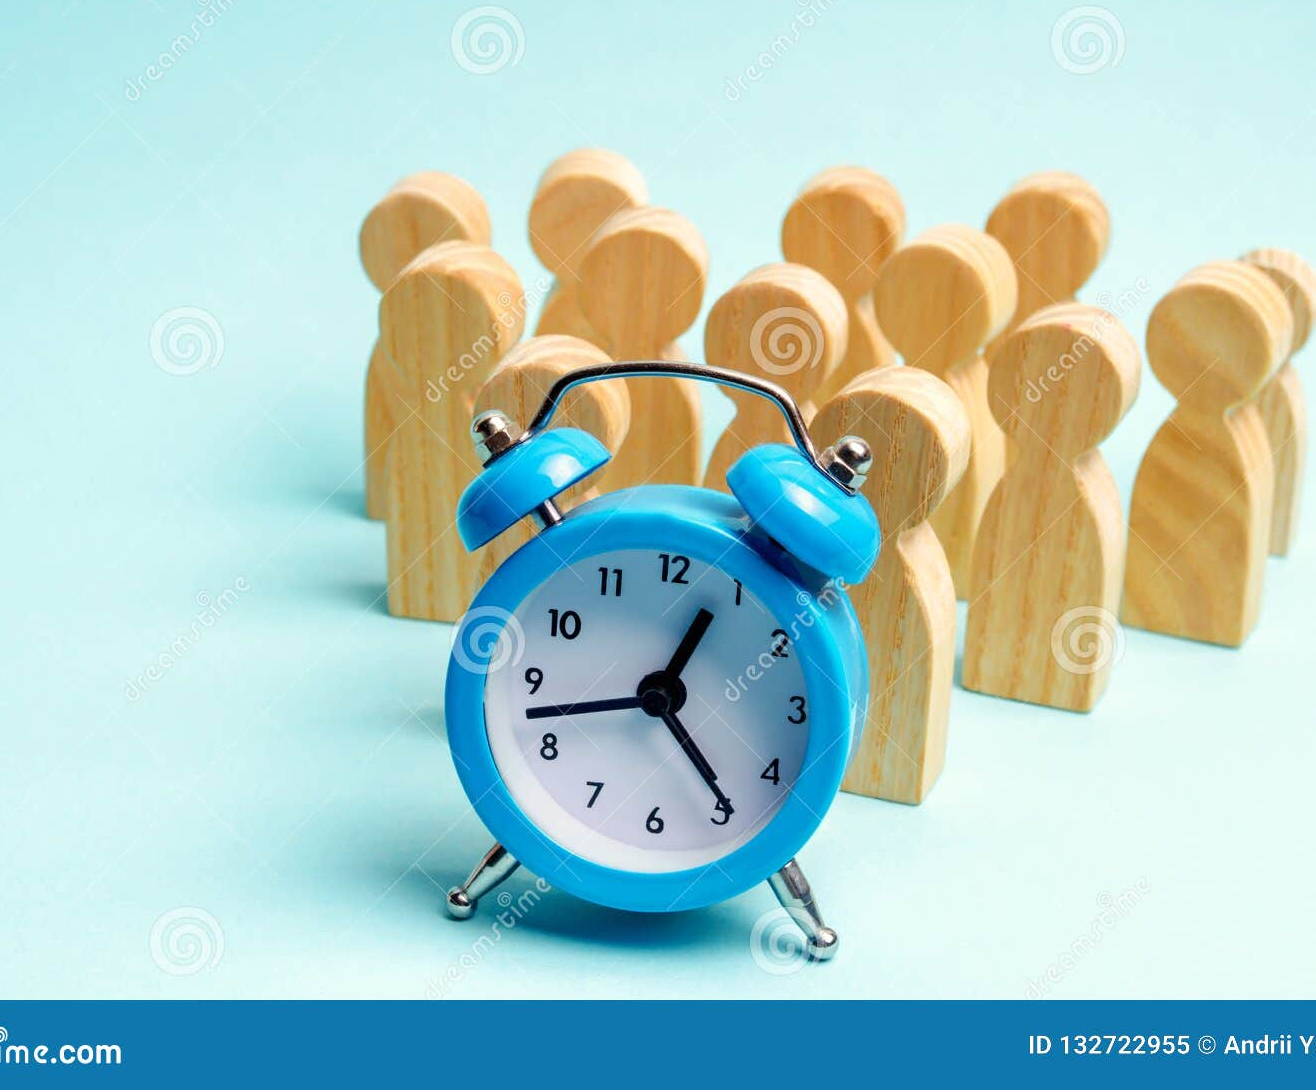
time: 12:42
